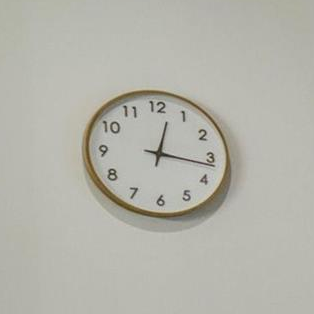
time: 12:16
